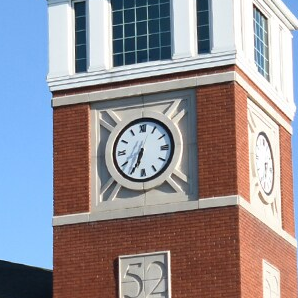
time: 6:34
